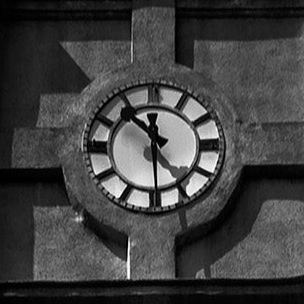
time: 10:29
